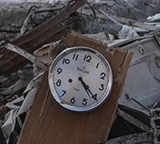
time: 4:20
